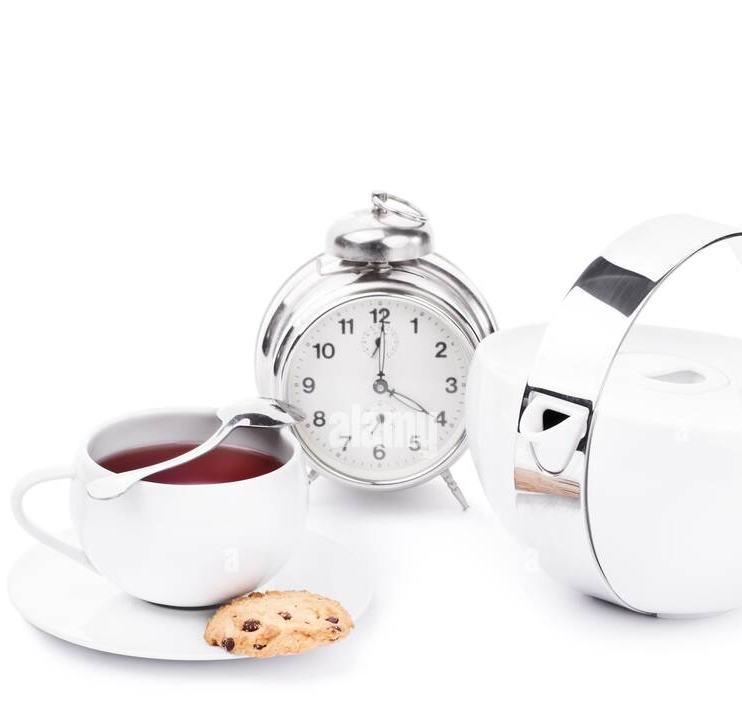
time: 4:00
